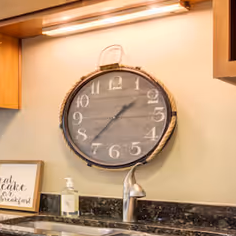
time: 1:36
